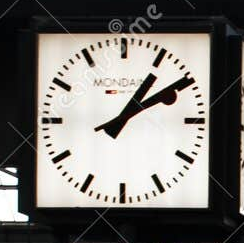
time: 1:09
